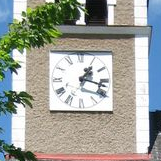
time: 1:17
